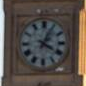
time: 4:04
